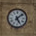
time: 5:08
